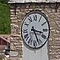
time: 3:26
